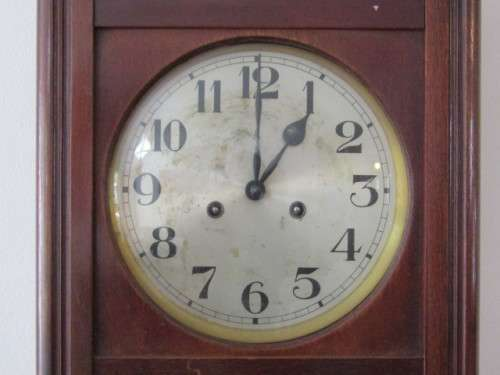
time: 1:00
